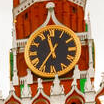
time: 11:35
